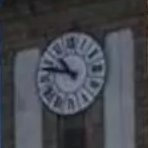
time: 10:47
